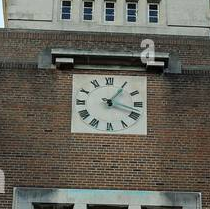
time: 1:18
